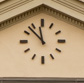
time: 11:52
